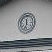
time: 11:33
